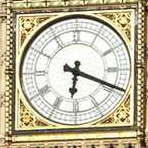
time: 6:18
